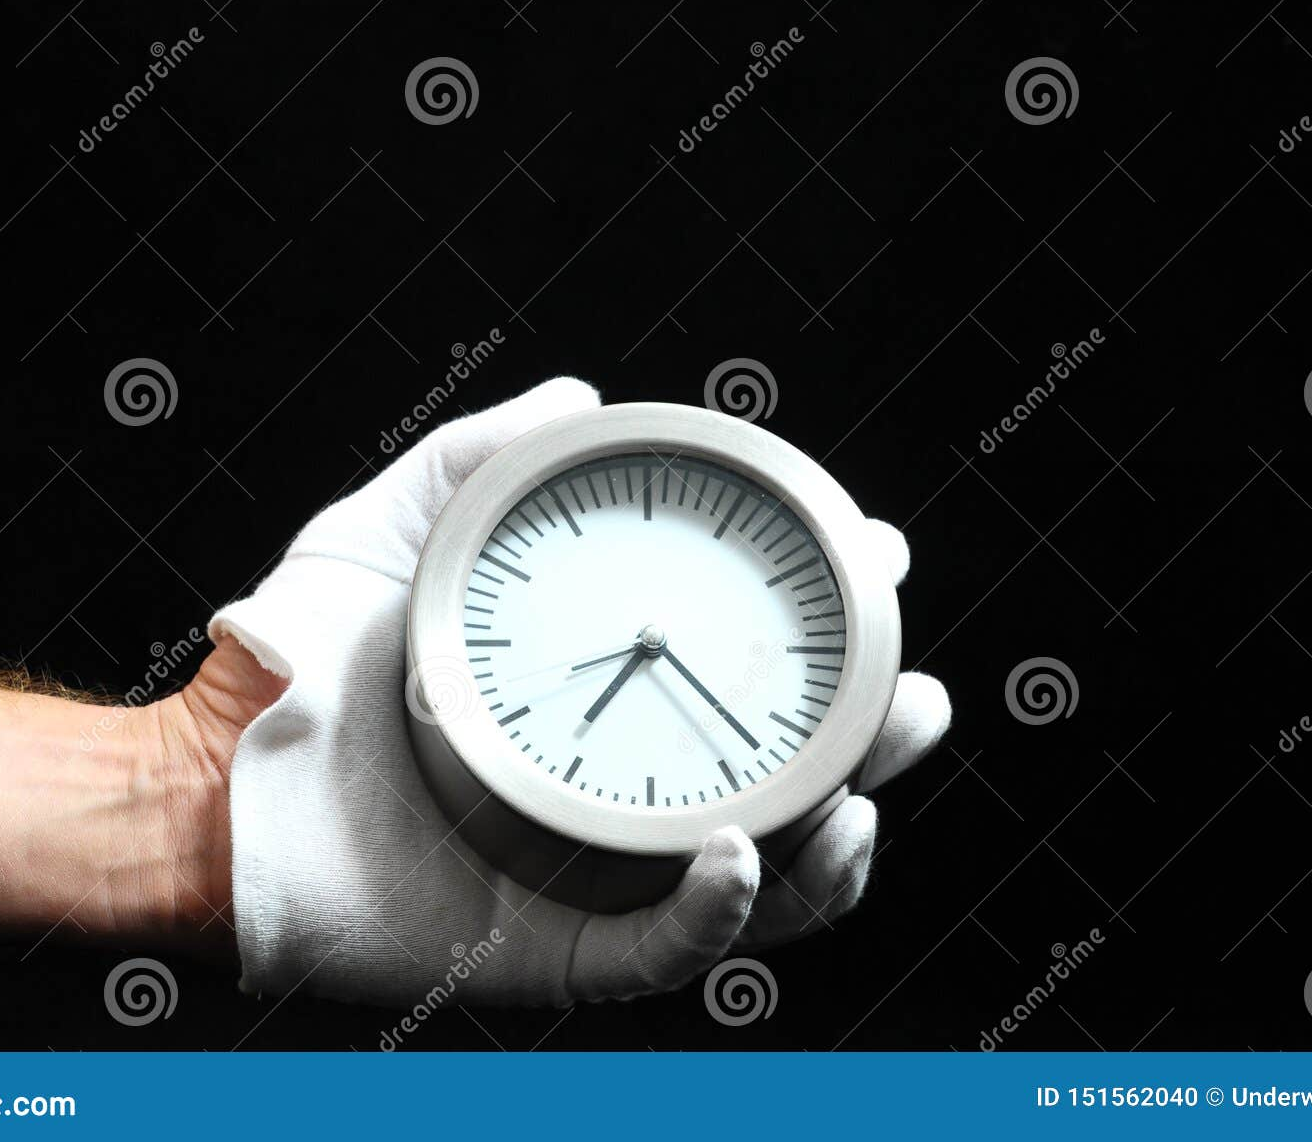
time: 7:22
